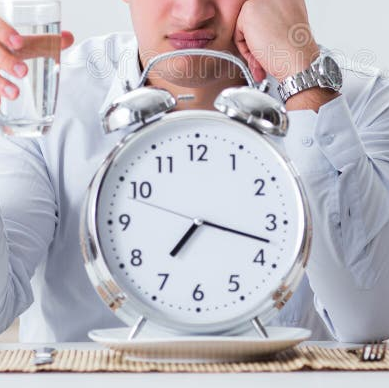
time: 7:17
